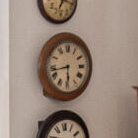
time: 5:42
